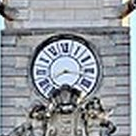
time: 8:16
